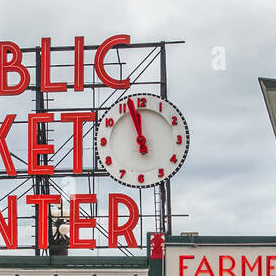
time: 11:57
